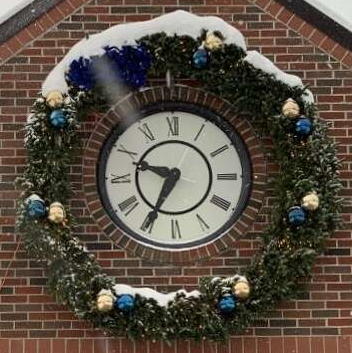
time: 9:34
